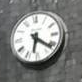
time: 6:21
